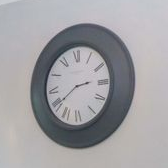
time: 2:40
